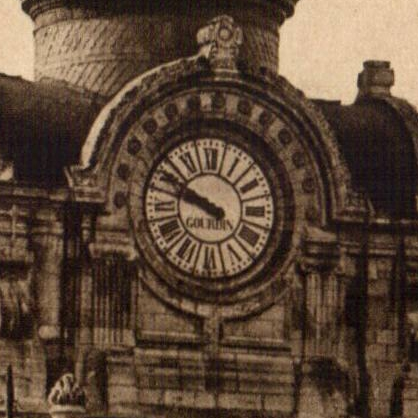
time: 9:50
